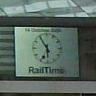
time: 5:54
